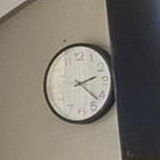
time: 2:22
